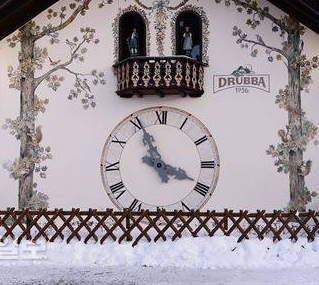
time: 3:55
